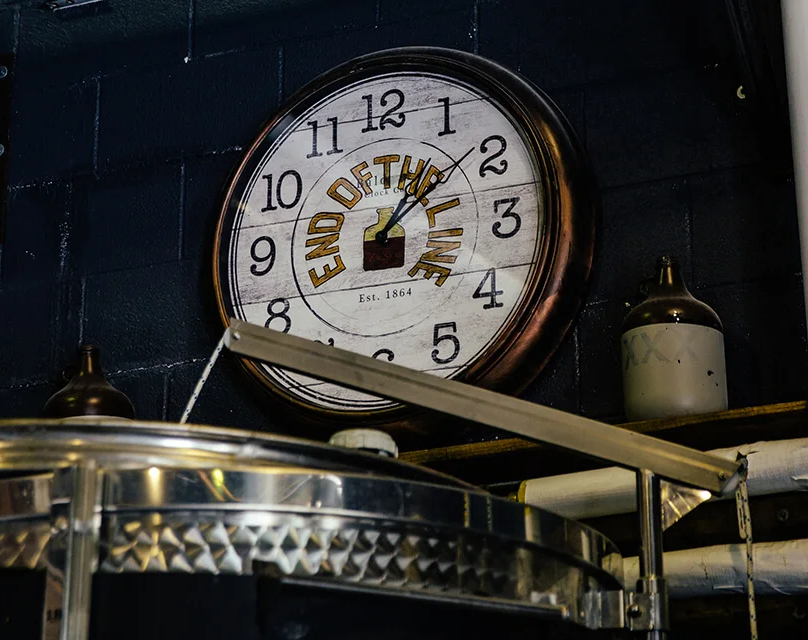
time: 1:08
